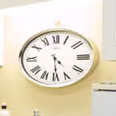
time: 4:29
